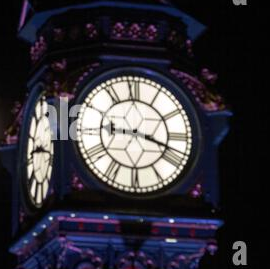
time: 9:18
